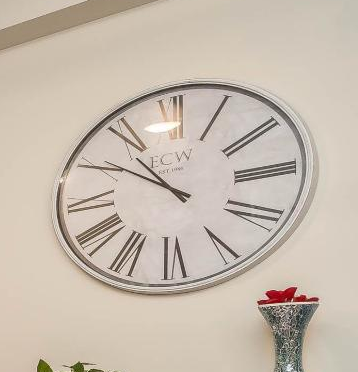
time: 10:50
